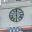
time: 6:00
